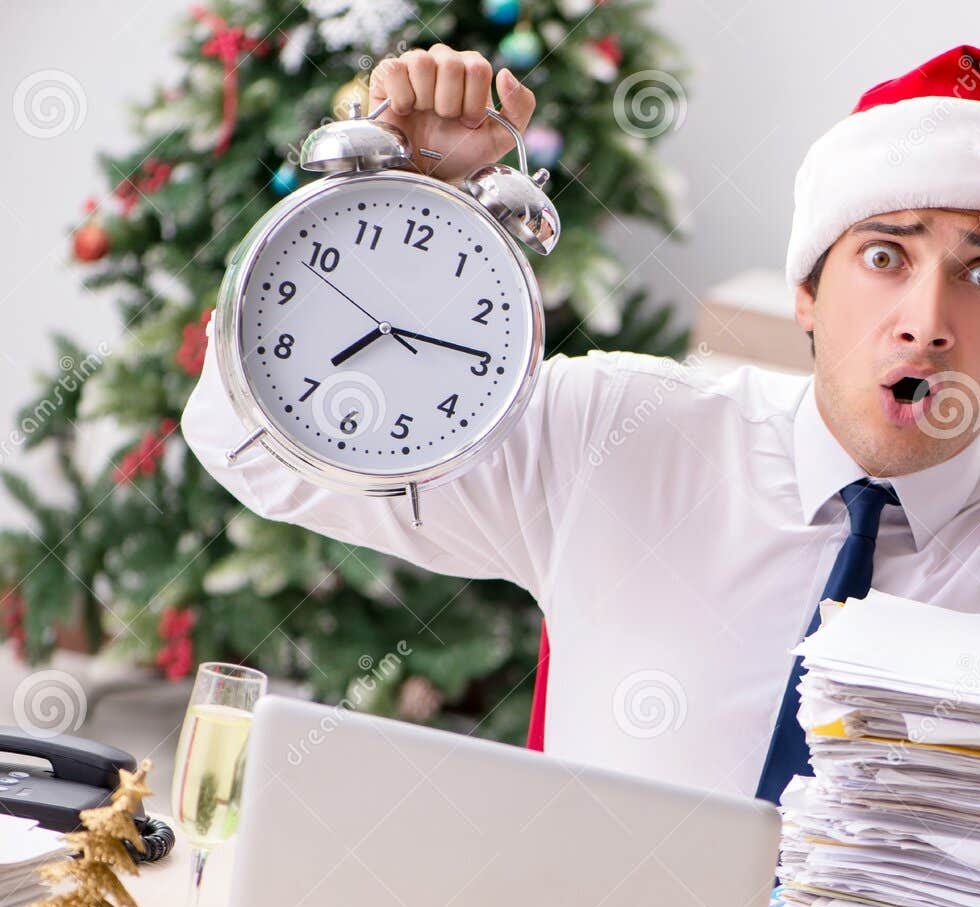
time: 7:14
